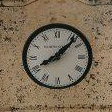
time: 8:07
